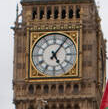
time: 5:06
